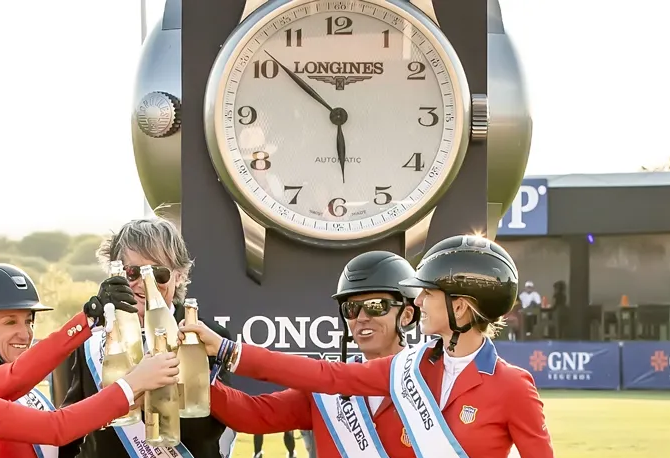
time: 5:51
